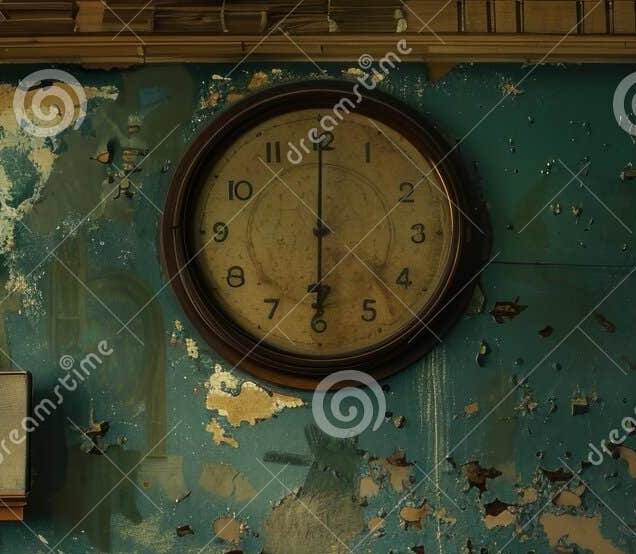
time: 6:00
